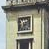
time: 7:12
